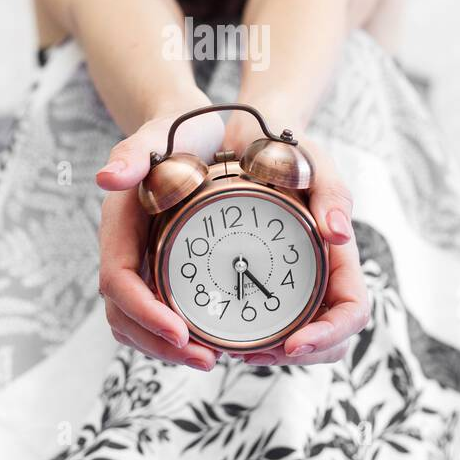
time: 6:24
